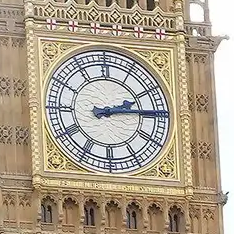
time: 2:14
